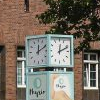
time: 12:10
